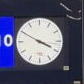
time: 3:50
